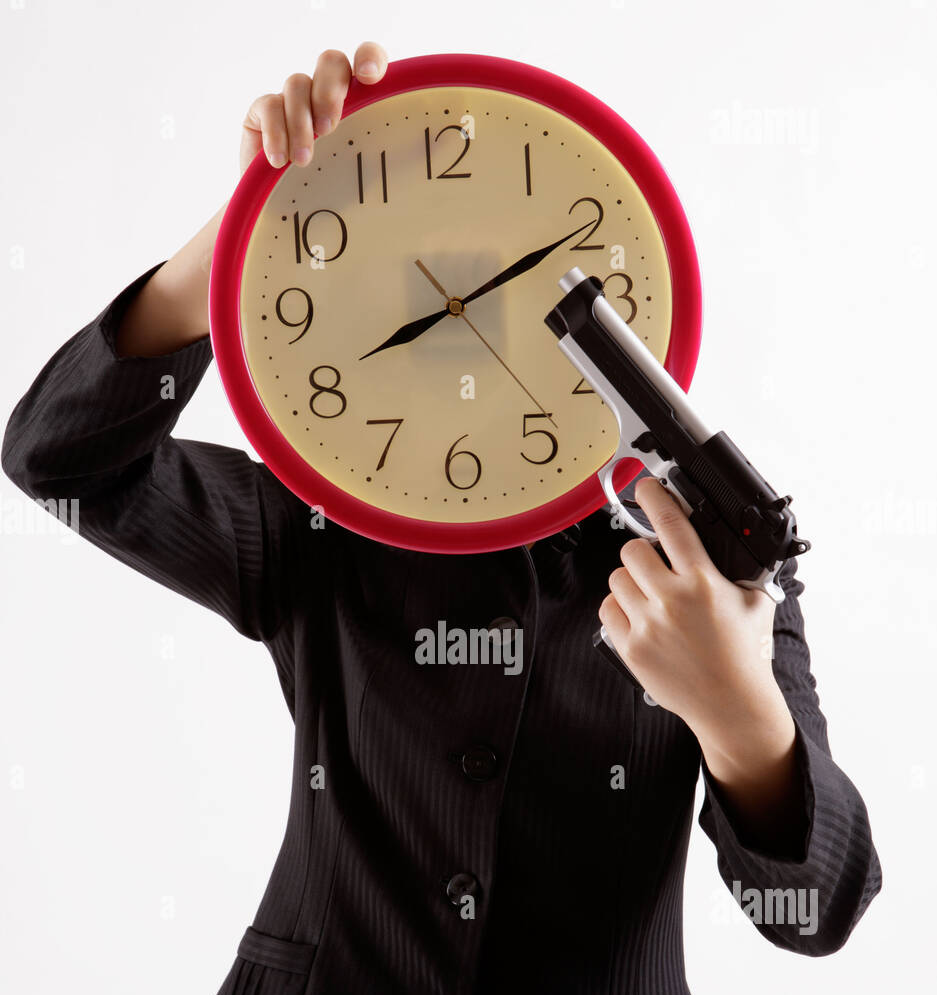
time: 8:10
